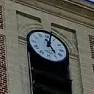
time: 5:02
